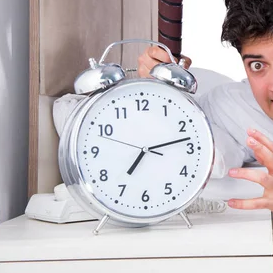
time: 7:13
